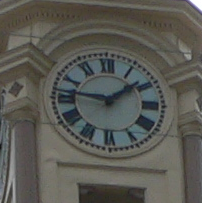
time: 1:46
